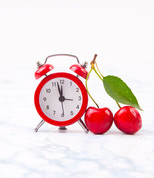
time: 11:57
